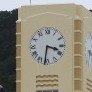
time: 3:31
